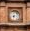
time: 8:32
